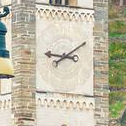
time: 9:10
